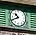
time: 10:41
